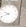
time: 9:41
